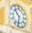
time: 10:32
